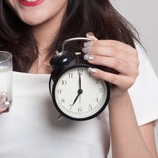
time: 6:59
